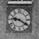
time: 9:20
